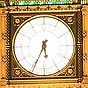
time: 5:34
